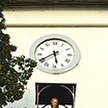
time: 5:40
